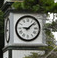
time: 9:08
